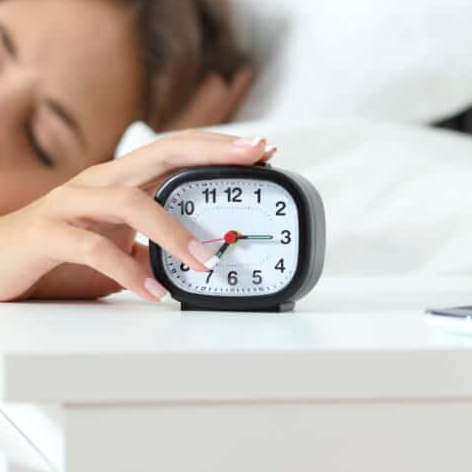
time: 7:15
